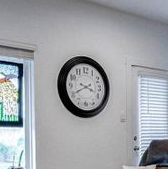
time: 3:40
